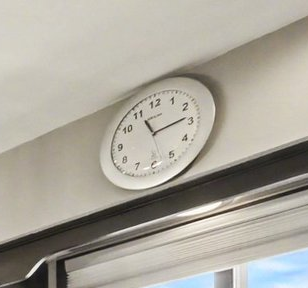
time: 11:13
